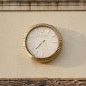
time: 7:37
